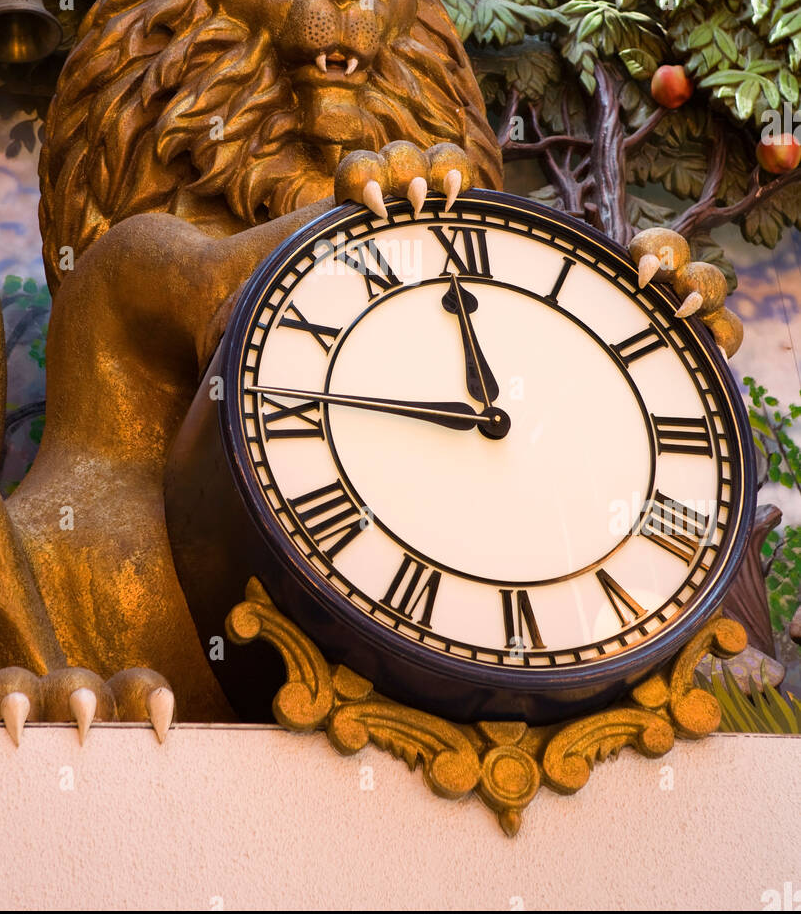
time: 11:45
